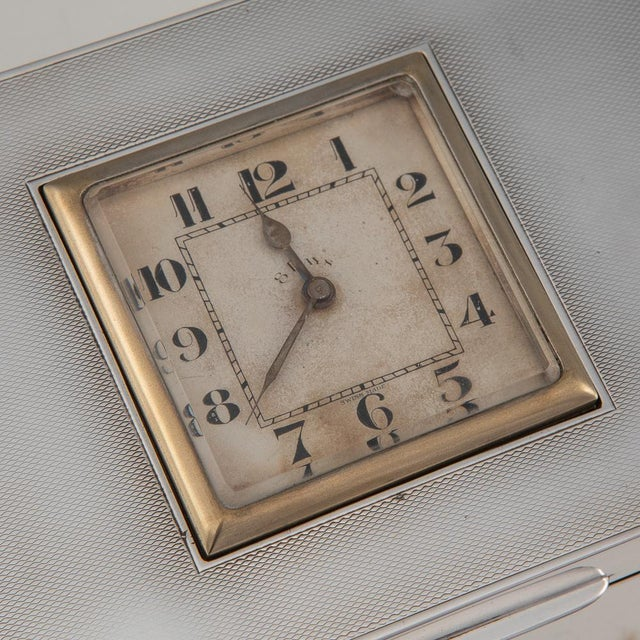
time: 11:38
